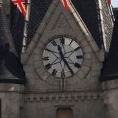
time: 11:24
